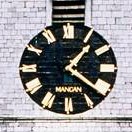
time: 1:21
